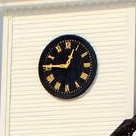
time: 12:45
